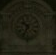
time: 10:34
